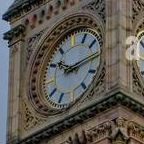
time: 10:14
